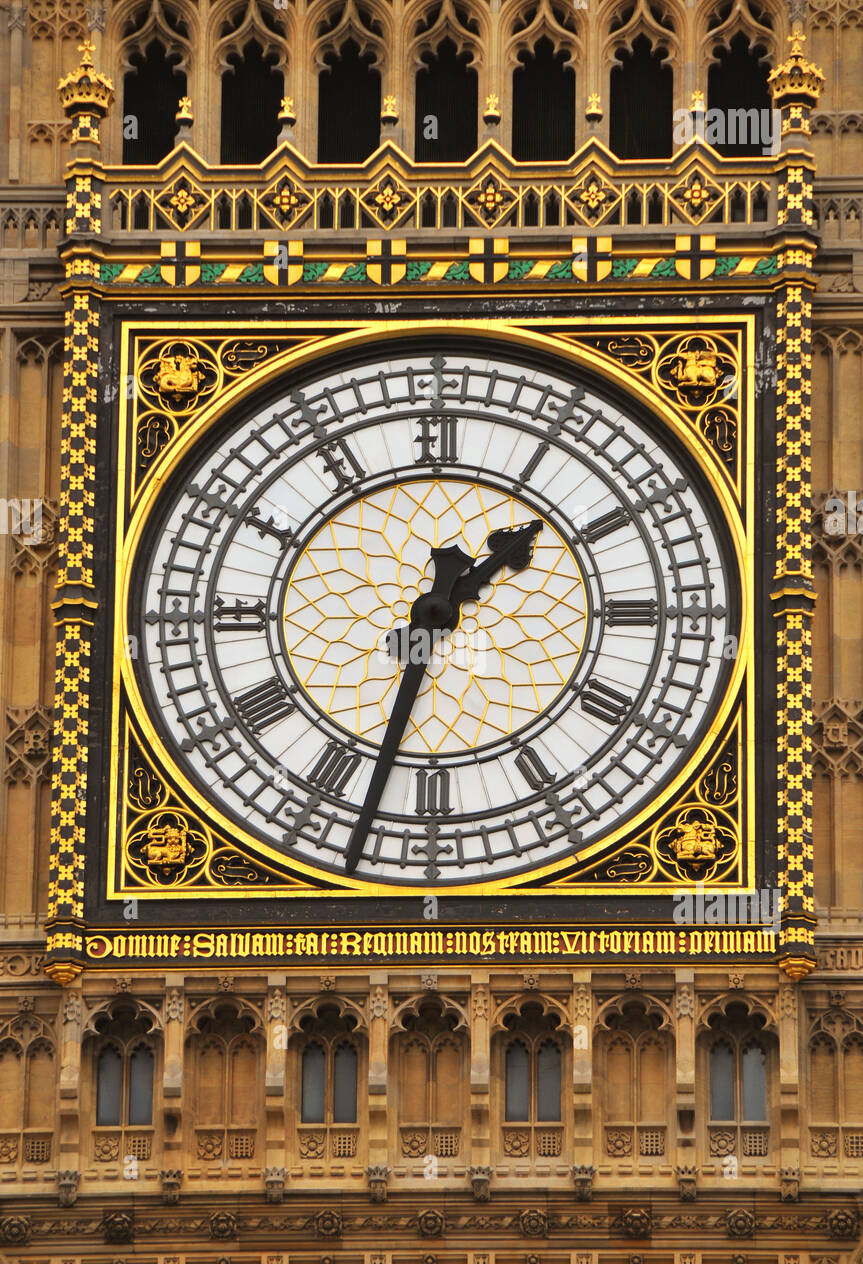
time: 1:32
